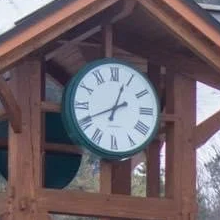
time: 12:41
